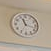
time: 11:17
